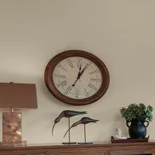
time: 12:04
